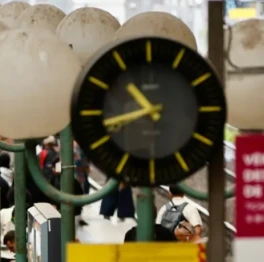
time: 10:42
